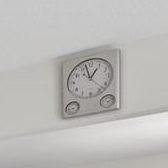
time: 12:57
